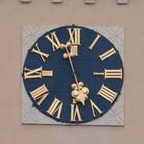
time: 4:57
